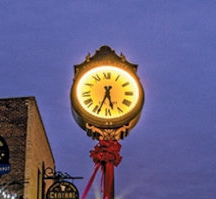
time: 5:33
